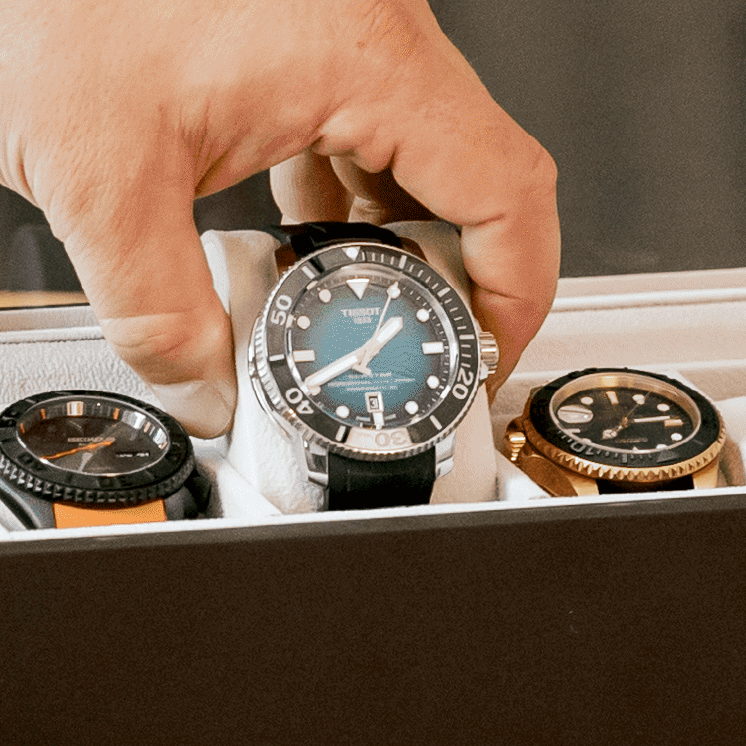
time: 1:40
